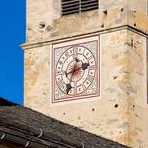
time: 2:33
